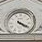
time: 4:19
